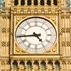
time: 4:43
